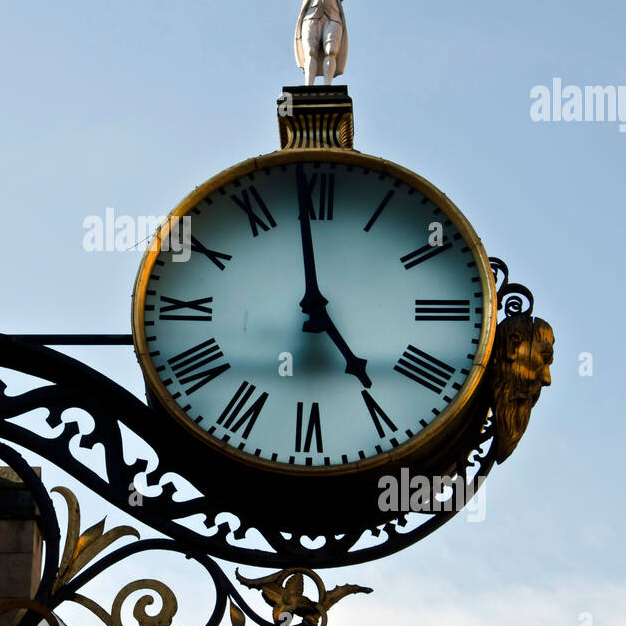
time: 4:58
